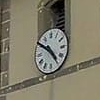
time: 4:50
